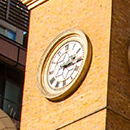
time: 2:15
